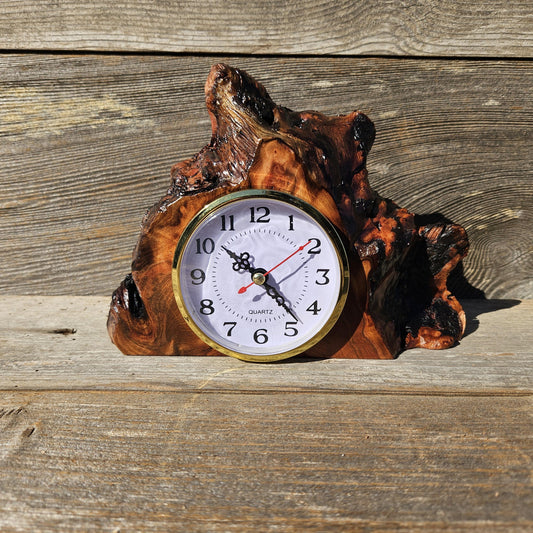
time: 10:23
